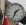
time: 1:33
